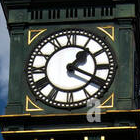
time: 1:19
